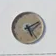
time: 5:10
